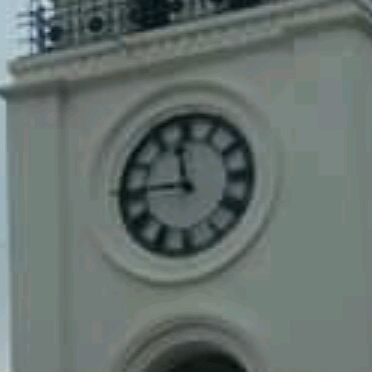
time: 11:45
